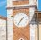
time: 1:36
